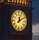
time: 12:09
